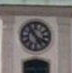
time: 4:54
